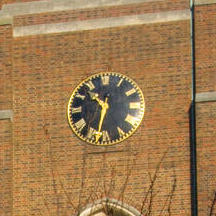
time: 10:32
